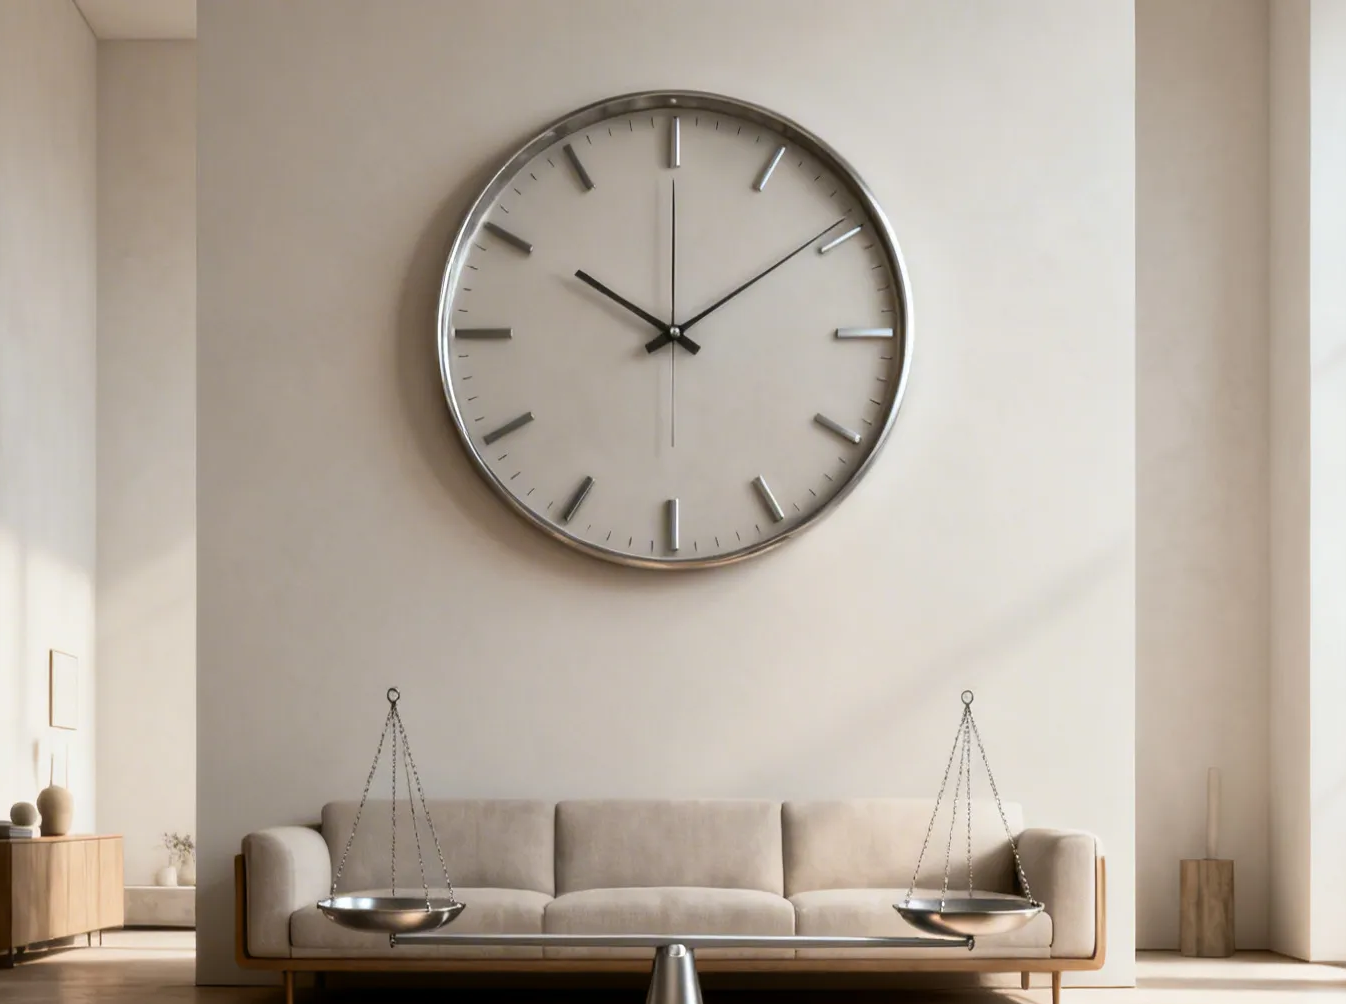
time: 10:00
